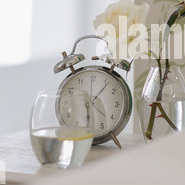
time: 6:06
